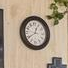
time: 12:39
